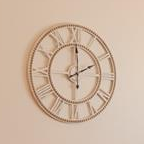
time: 2:00
